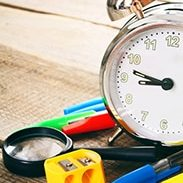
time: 8:47
